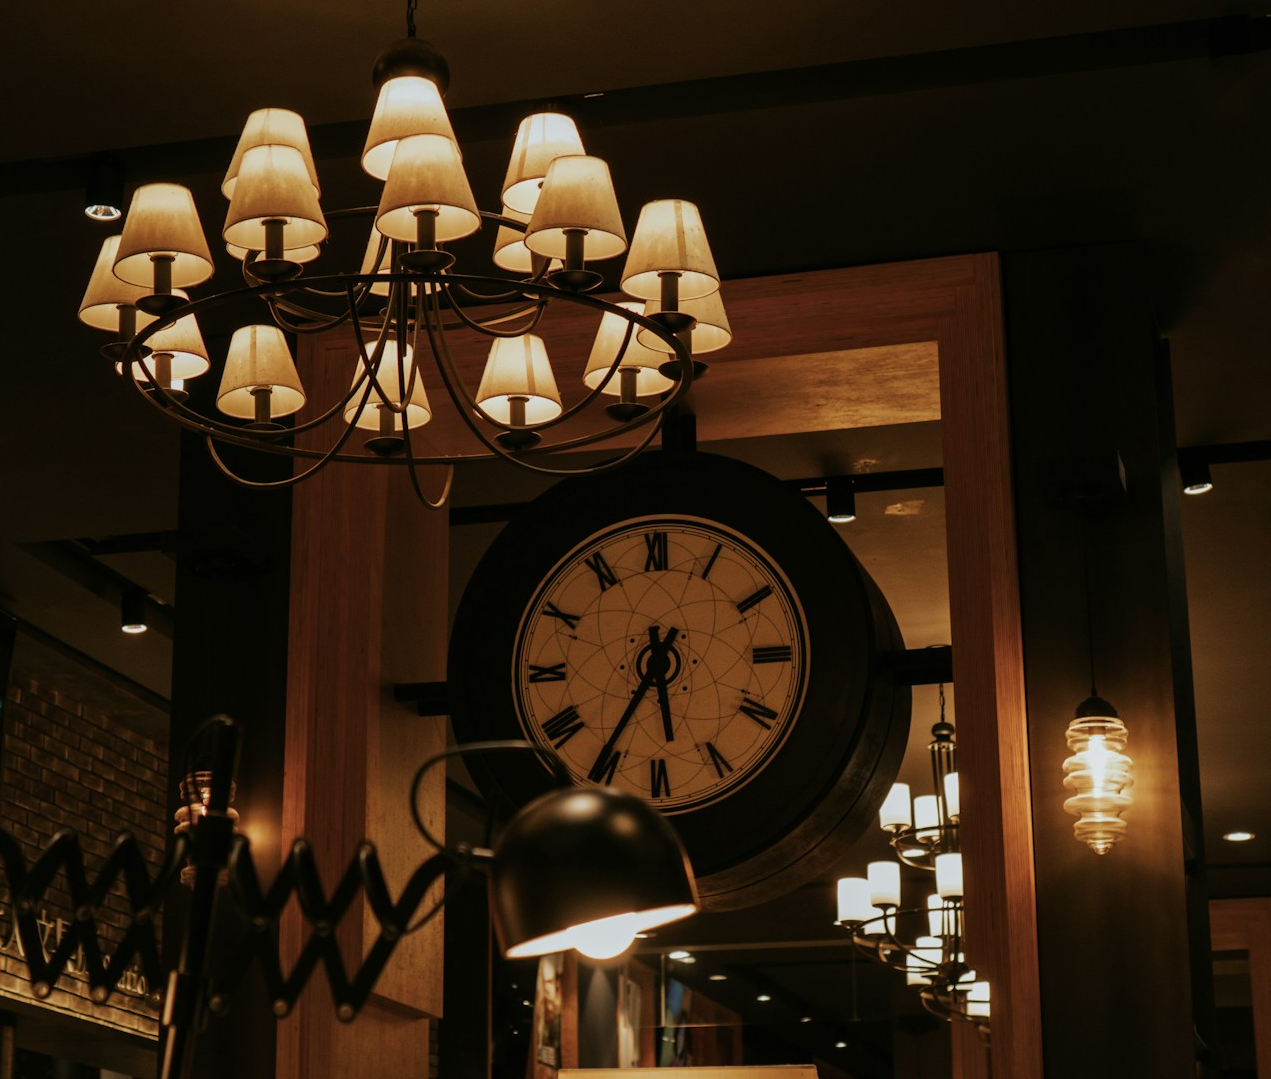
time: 5:35
